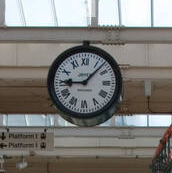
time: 9:07
